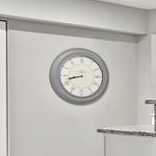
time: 8:42
